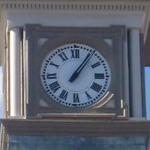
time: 1:05
